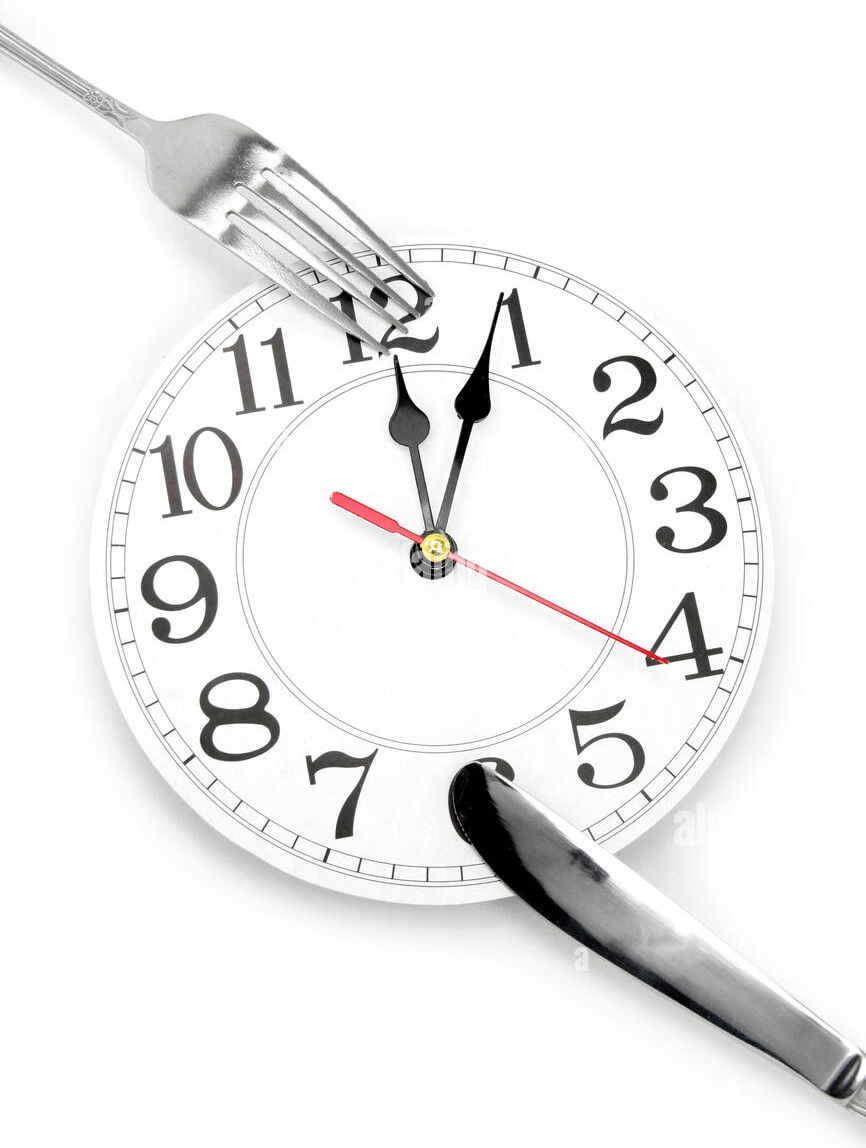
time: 12:04
